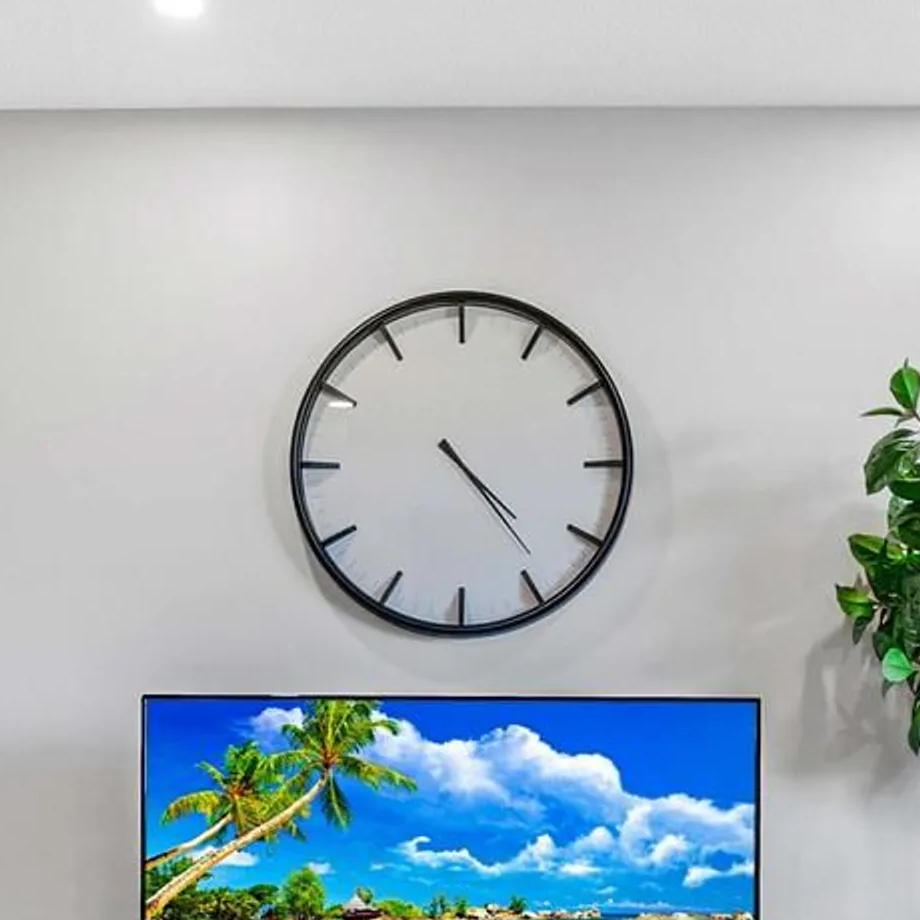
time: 4:23
